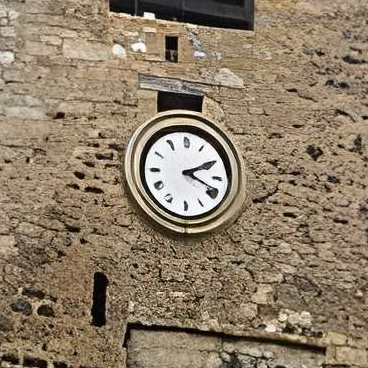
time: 2:18
